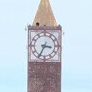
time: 3:34
